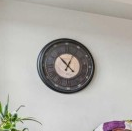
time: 12:53
